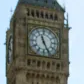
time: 11:25
